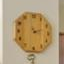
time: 3:12
